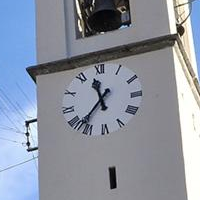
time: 11:36
